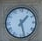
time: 1:27
